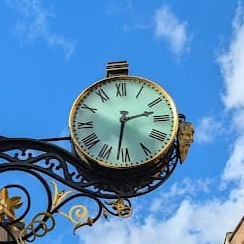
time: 2:31
